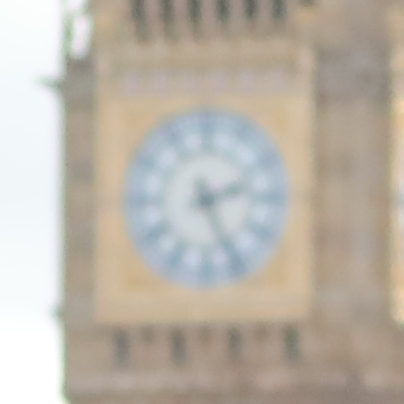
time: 2:25
